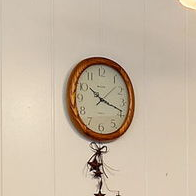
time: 10:18
